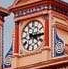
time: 4:14
